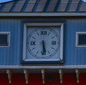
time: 5:29
